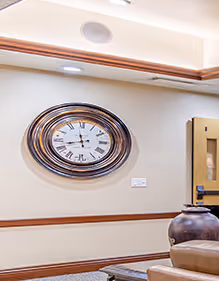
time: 11:42
